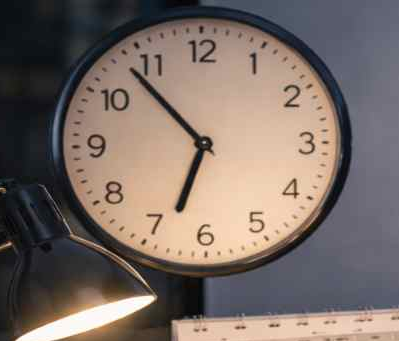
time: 6:53
